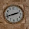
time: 2:42
